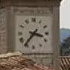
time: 3:36
